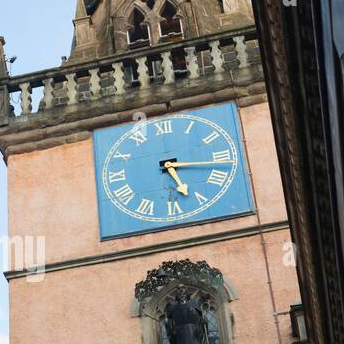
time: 5:17
